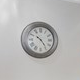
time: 10:23
